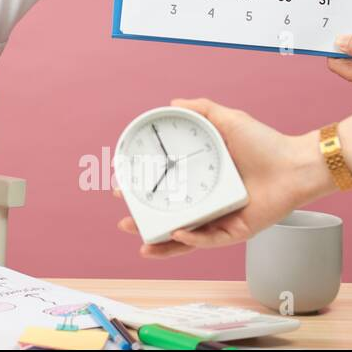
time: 6:55
